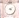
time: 4:12
